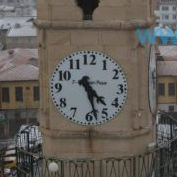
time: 4:27
